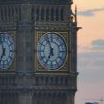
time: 6:56
